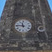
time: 11:46
